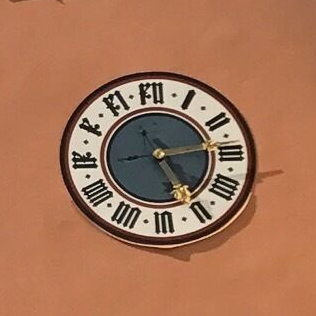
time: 5:13
